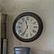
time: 11:34
